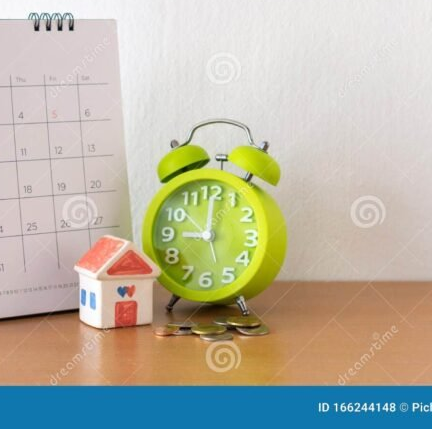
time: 9:00
